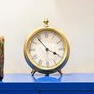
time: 3:53
